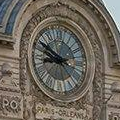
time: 8:49
